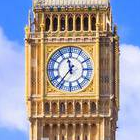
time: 11:36
